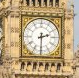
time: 2:30
